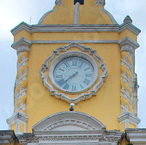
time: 7:37
